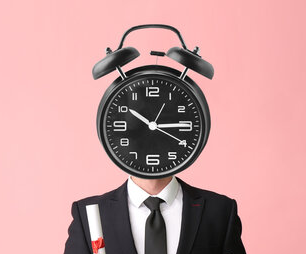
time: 10:14
